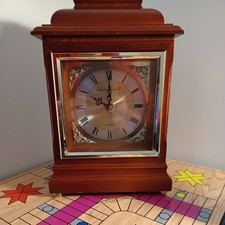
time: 10:00
